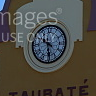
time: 10:28
